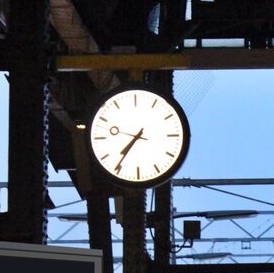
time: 7:36
